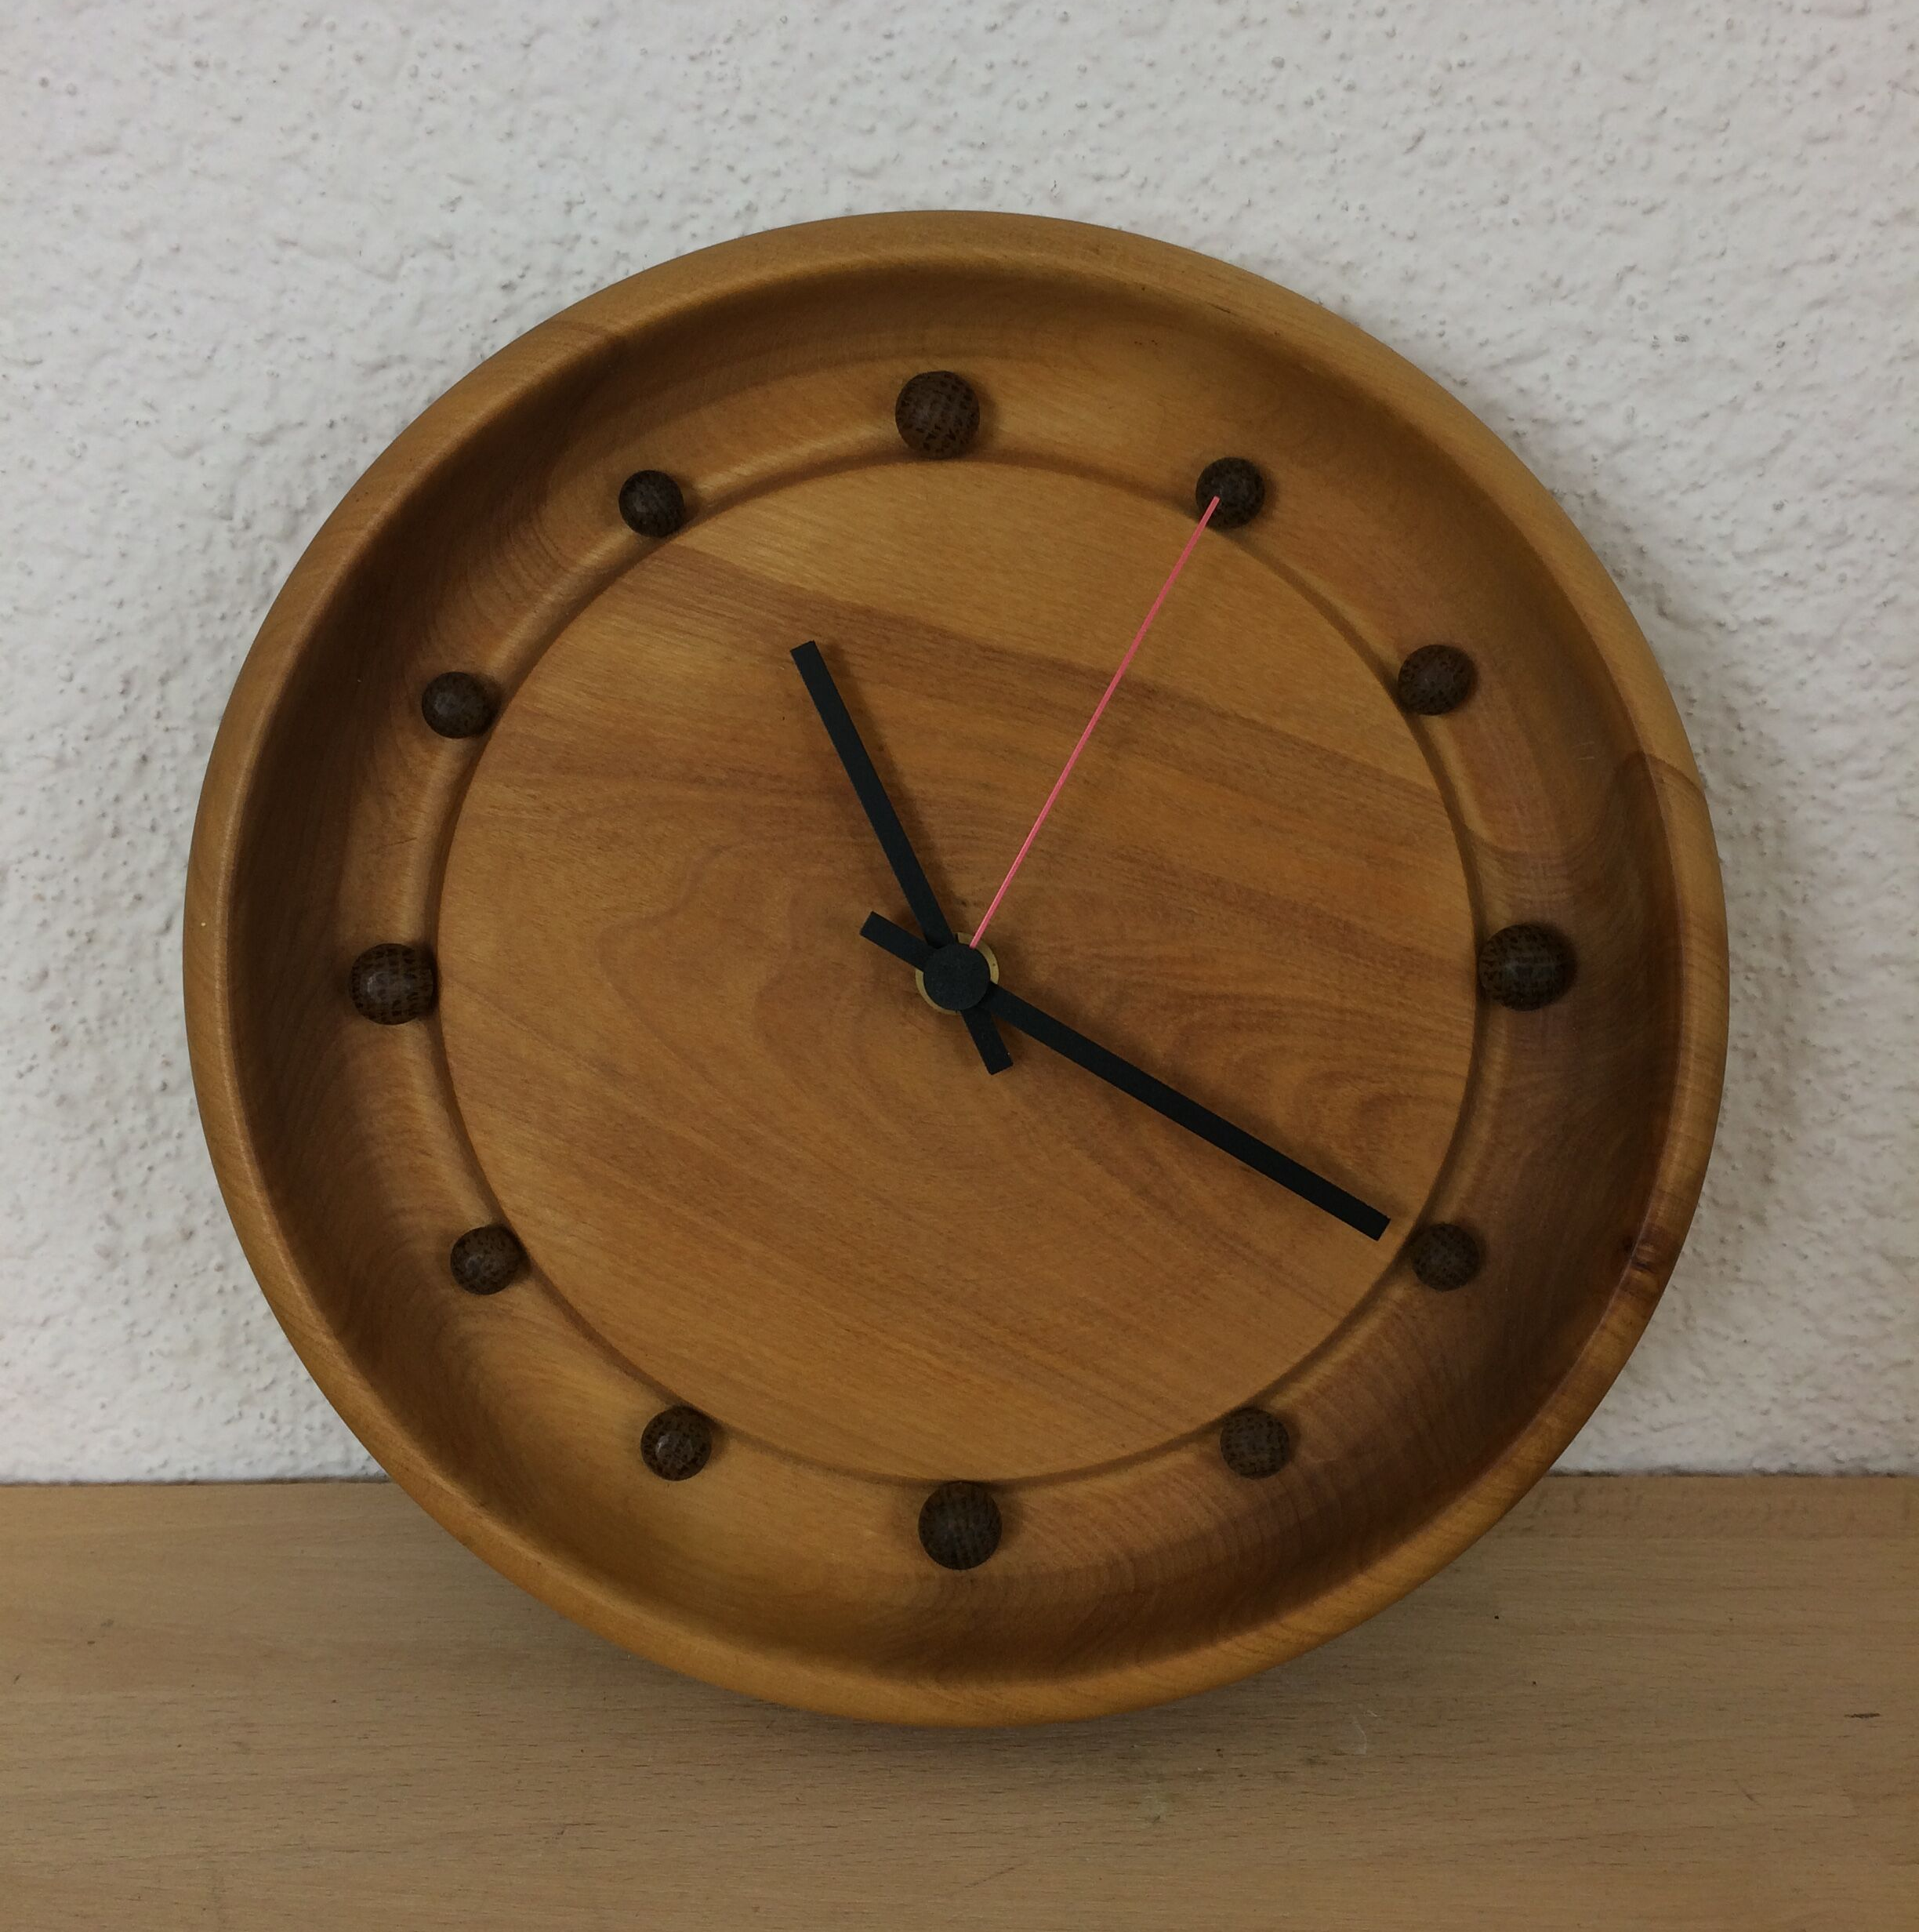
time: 11:20
